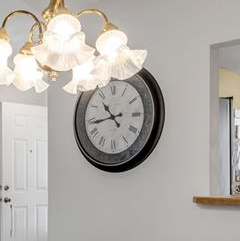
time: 10:43
